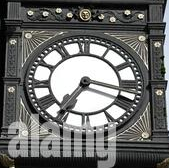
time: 7:17
